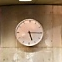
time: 5:15
